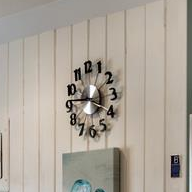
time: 3:46
